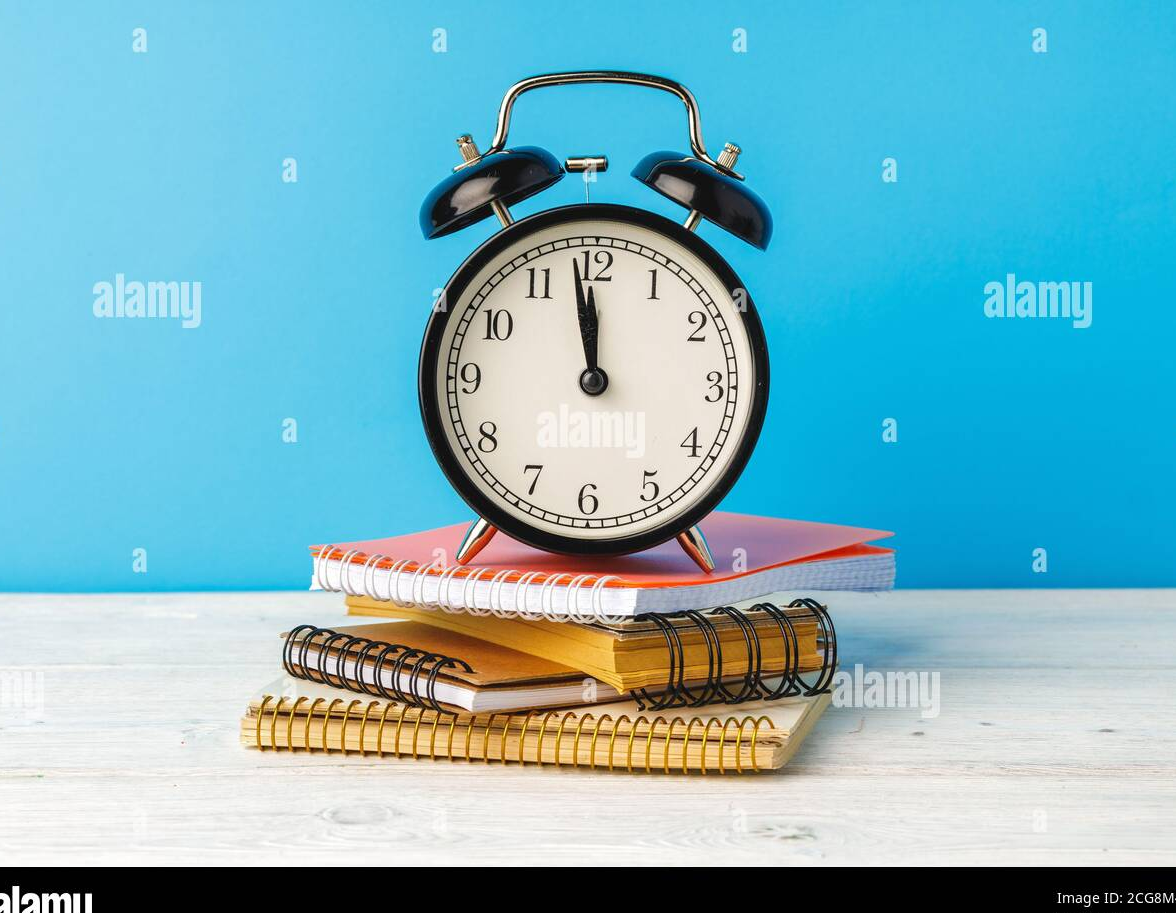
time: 11:58
